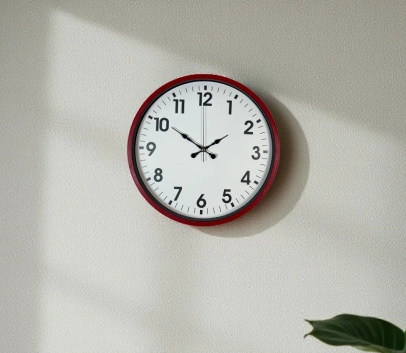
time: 1:50
